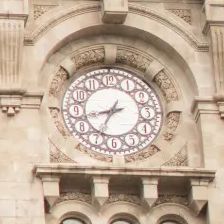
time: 8:34
